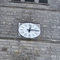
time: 12:14
